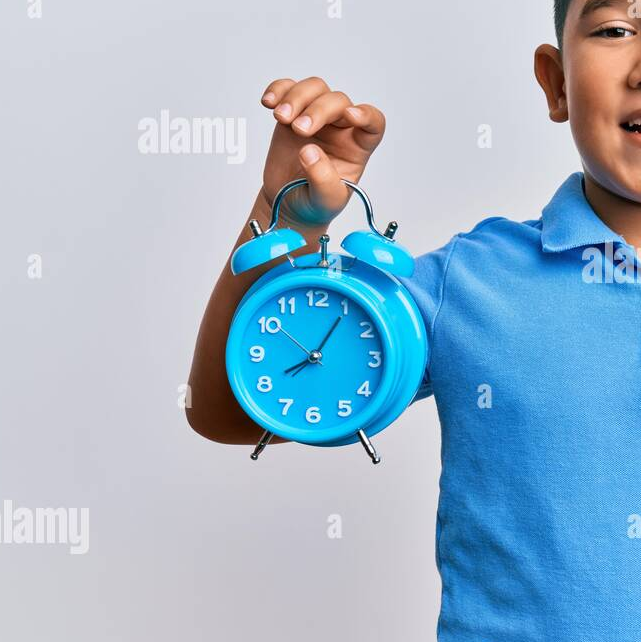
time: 8:05
